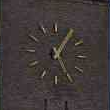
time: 5:05
